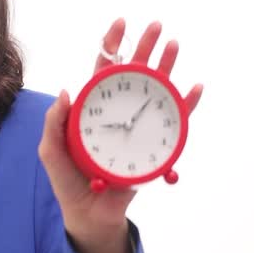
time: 9:07
